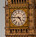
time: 4:45
